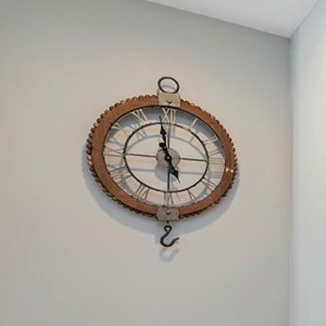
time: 4:58
